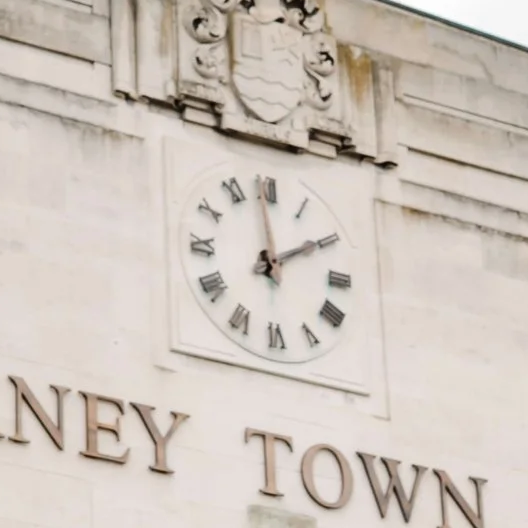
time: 1:59
